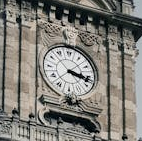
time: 3:17
